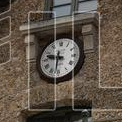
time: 9:31
